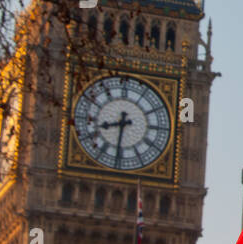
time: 8:31
